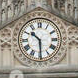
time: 10:29
